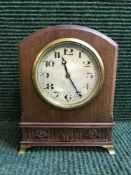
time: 11:24
